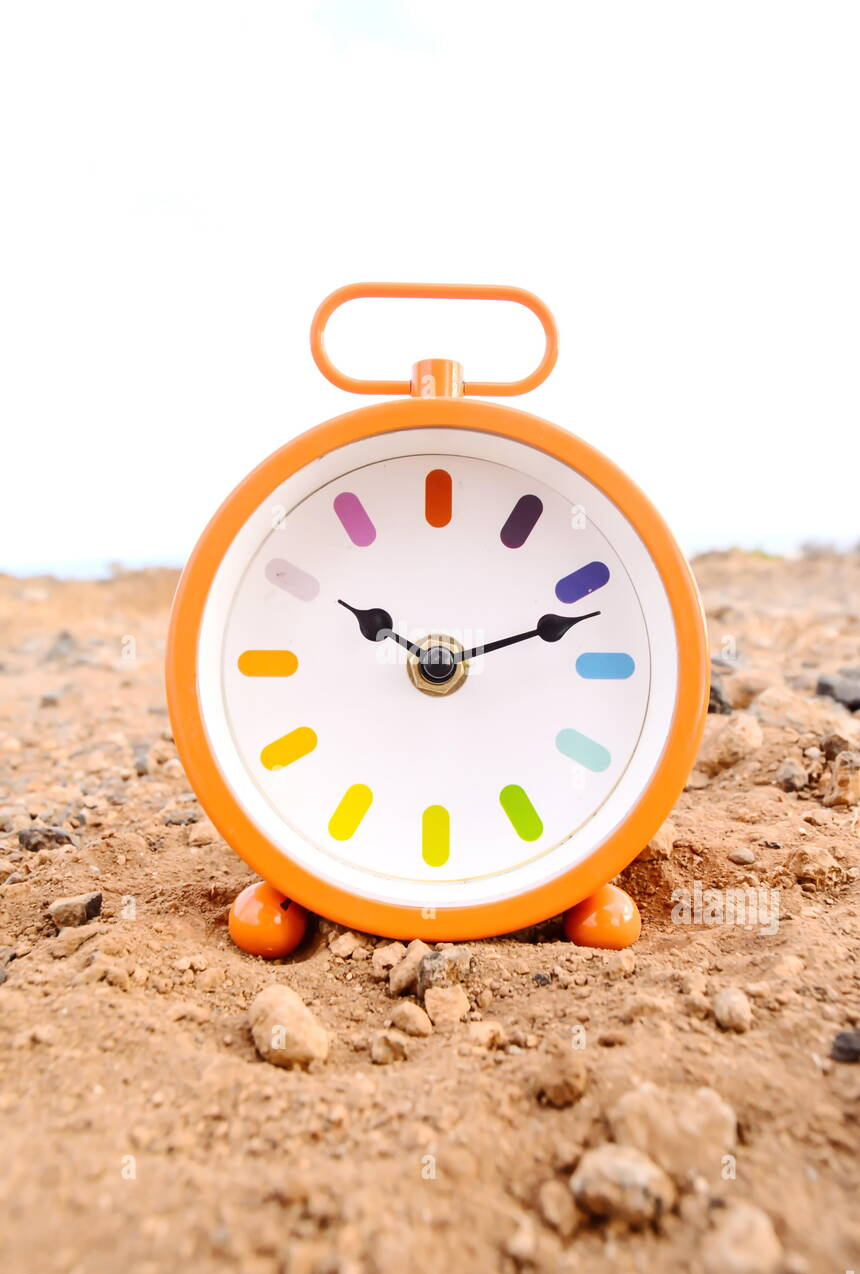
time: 10:11
